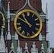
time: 10:50
